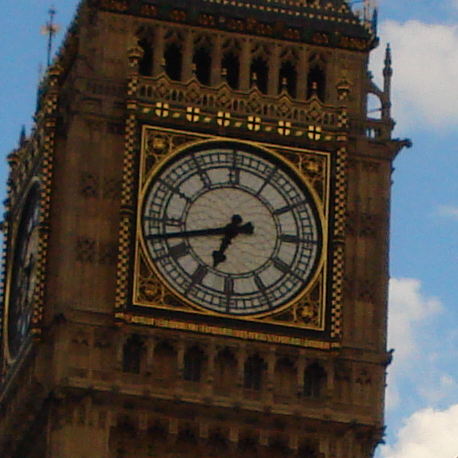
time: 6:42
